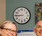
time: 8:45
